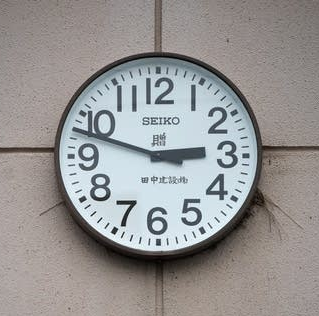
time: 2:48
